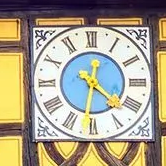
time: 12:22
